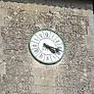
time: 4:17
